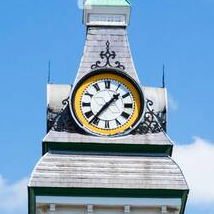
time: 1:36
